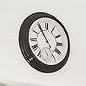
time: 10:54
